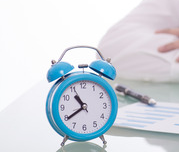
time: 10:39
